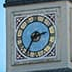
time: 2:35
